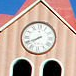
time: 7:40
